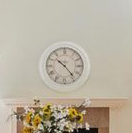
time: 10:23
